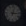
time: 3:02
